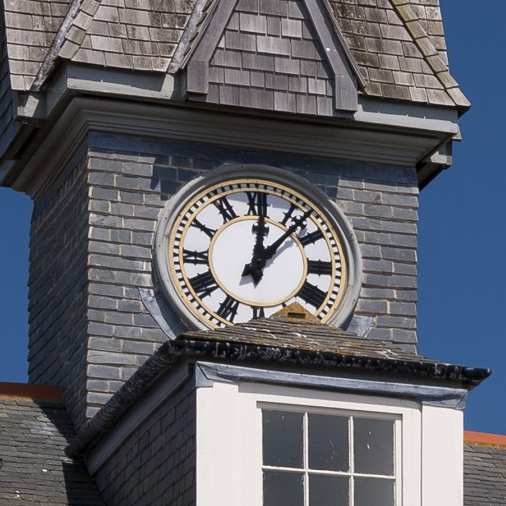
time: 12:07
